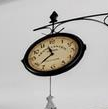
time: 11:37
